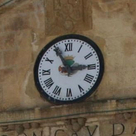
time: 2:54
